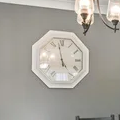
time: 4:58
